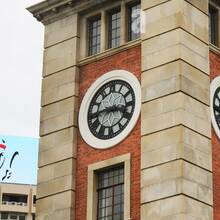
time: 3:43
